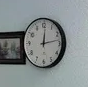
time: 12:13
